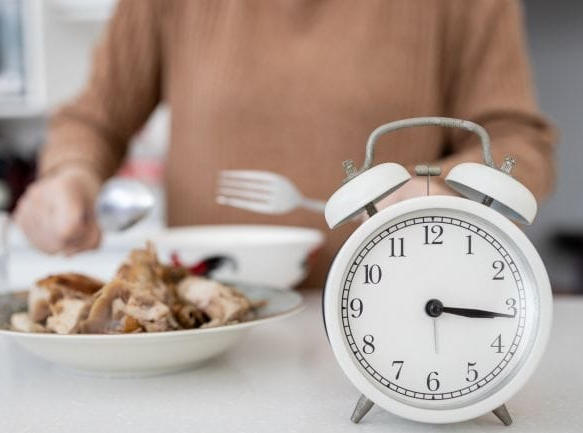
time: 3:15
